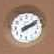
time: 2:09
